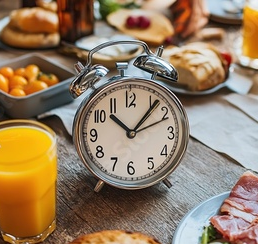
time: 10:07
